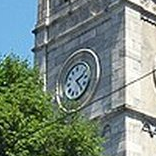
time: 2:23
